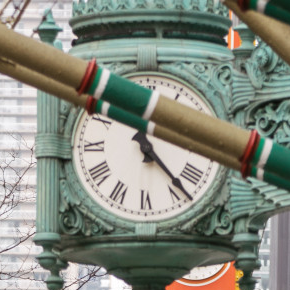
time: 12:23
